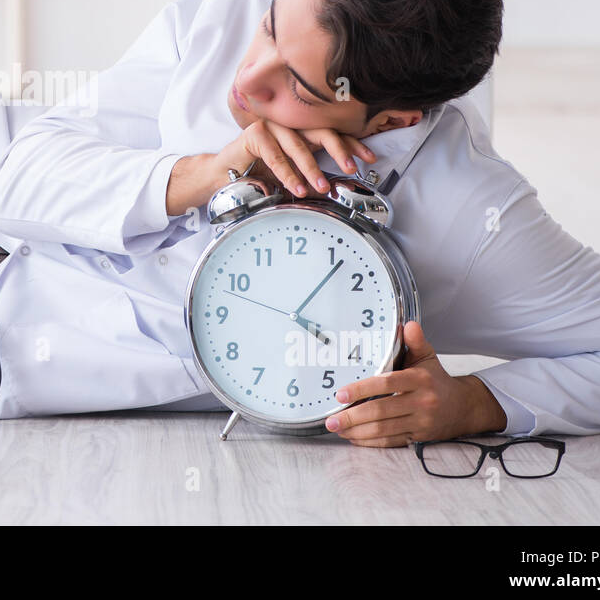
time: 4:06
